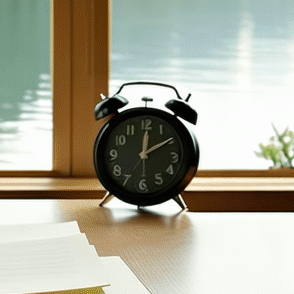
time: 12:09
